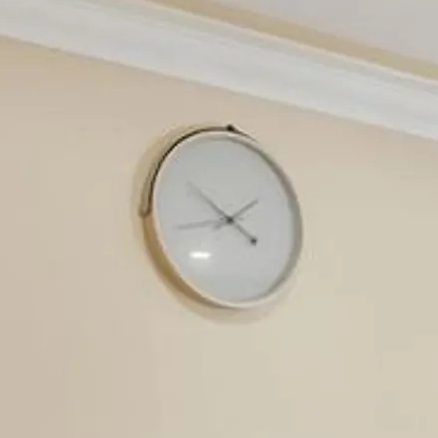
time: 1:50
